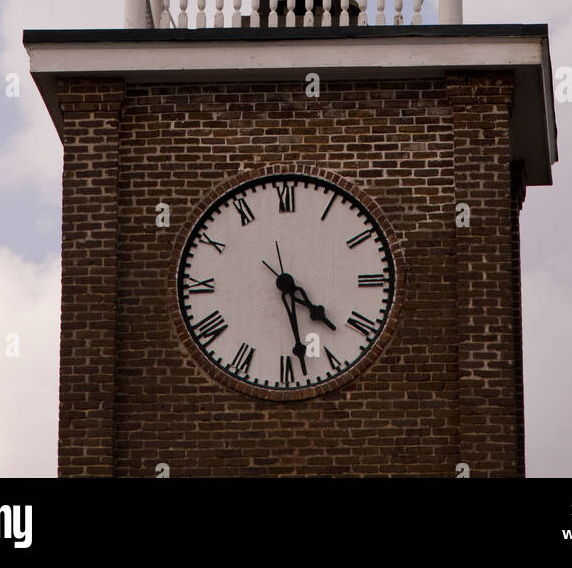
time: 4:28
